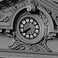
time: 7:40
